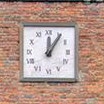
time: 12:05
